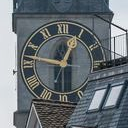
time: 12:47
